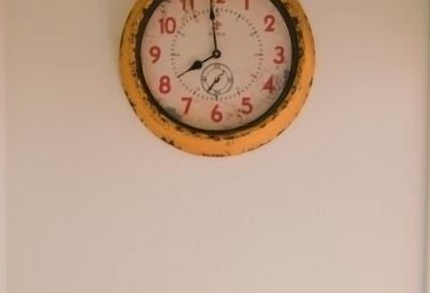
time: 7:59
